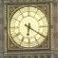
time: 6:20
